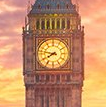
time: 7:47
